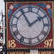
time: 1:55
